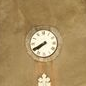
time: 7:40
